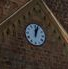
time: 12:03
